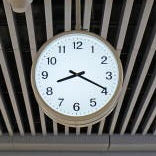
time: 8:19
